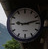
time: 9:12
